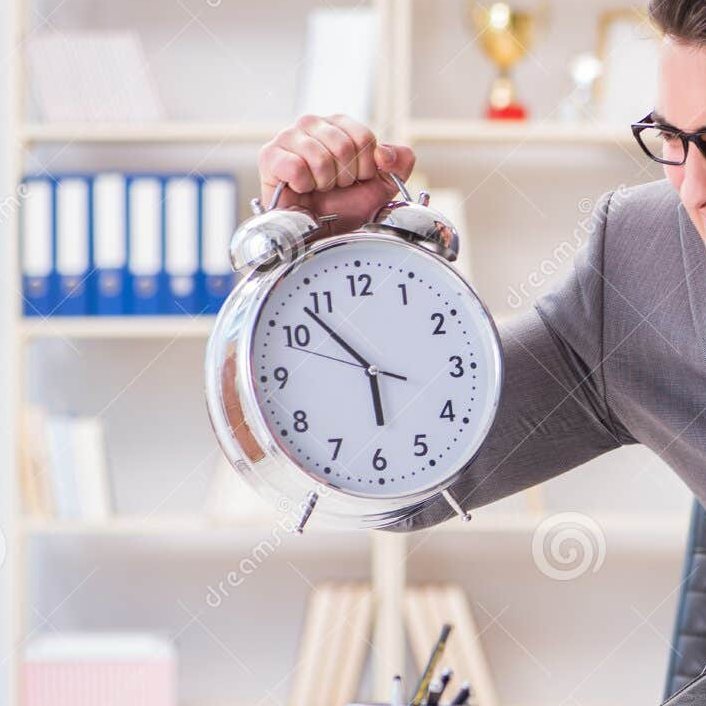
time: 5:53
